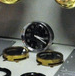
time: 3:20
